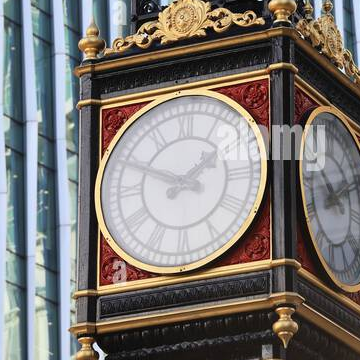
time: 1:48
